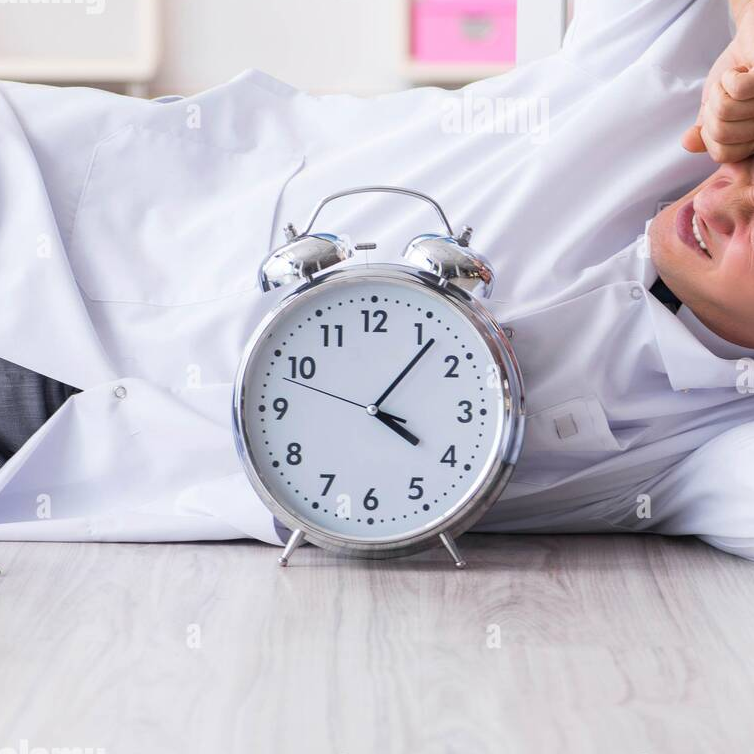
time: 4:06
